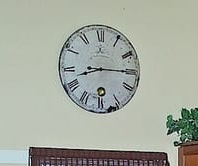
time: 8:15
